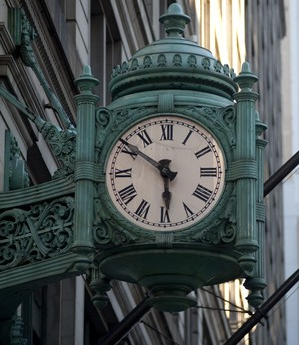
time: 5:51
